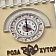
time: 3:58
